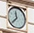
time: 11:37
